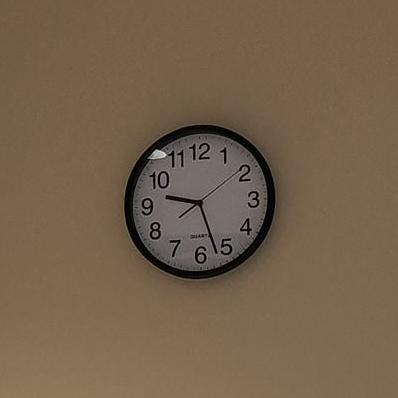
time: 9:27
